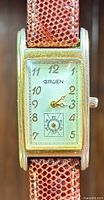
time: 3:11
